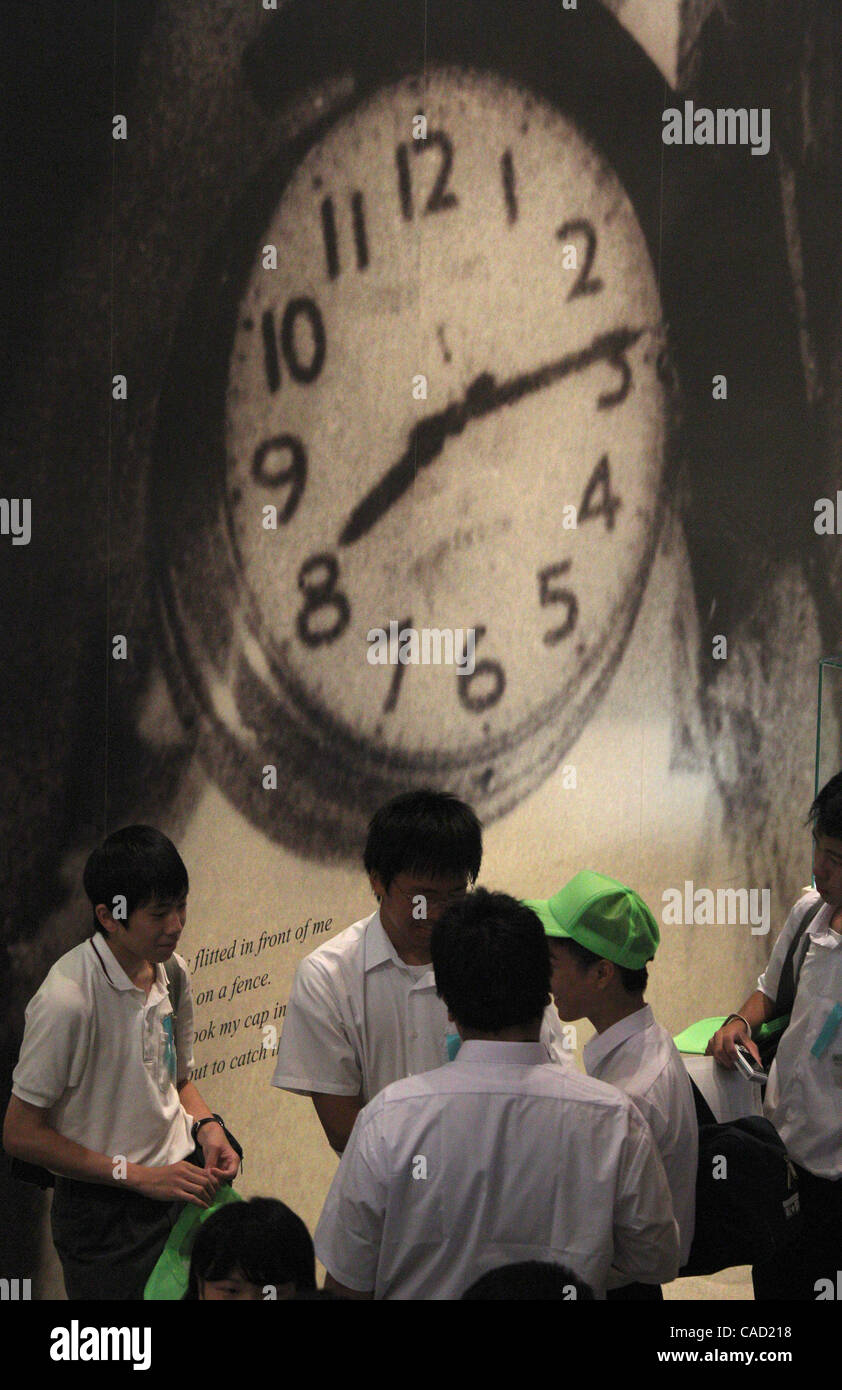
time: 8:14
